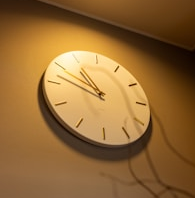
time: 10:48
